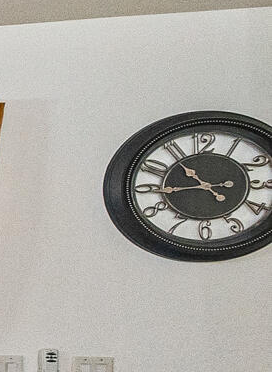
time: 10:43
